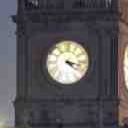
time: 4:17
